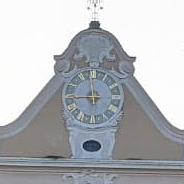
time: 11:44
